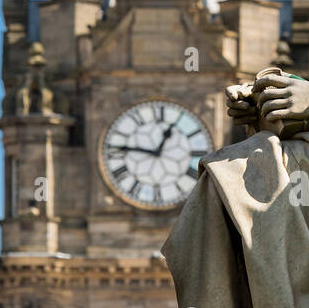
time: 12:46
